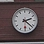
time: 2:22
